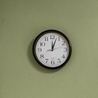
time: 12:03
